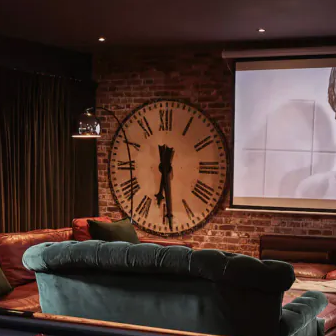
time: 6:29
